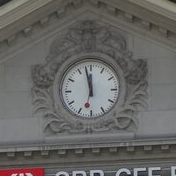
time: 11:57
